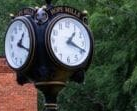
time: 1:18
